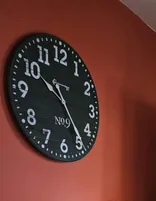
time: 10:24
